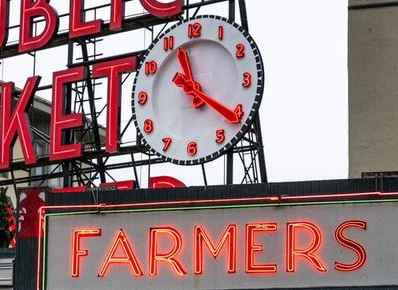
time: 11:21
